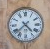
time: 4:37
